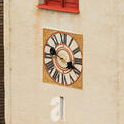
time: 3:48
